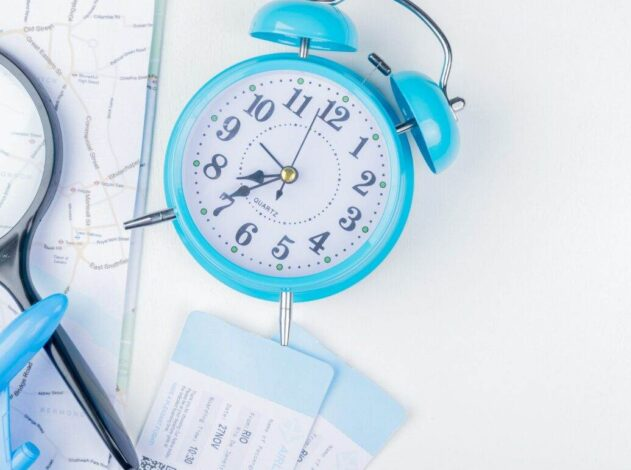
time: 8:40
